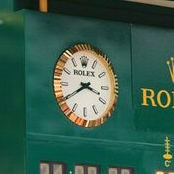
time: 3:39
